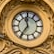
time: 11:35
